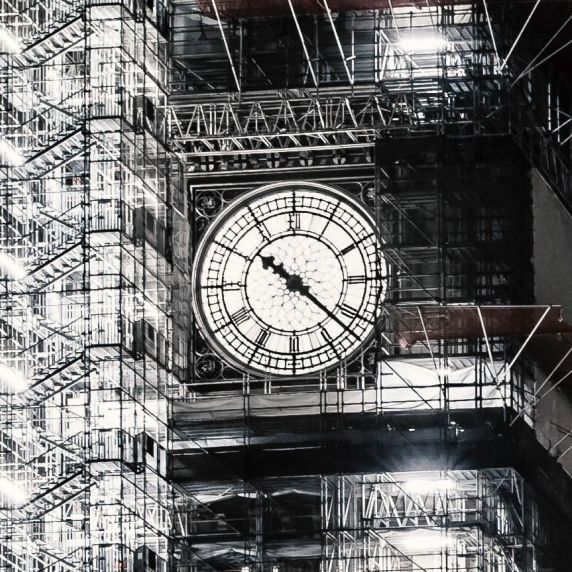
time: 10:21
